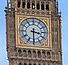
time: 3:30
